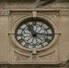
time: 11:15
